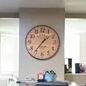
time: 1:36
